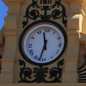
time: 11:32
